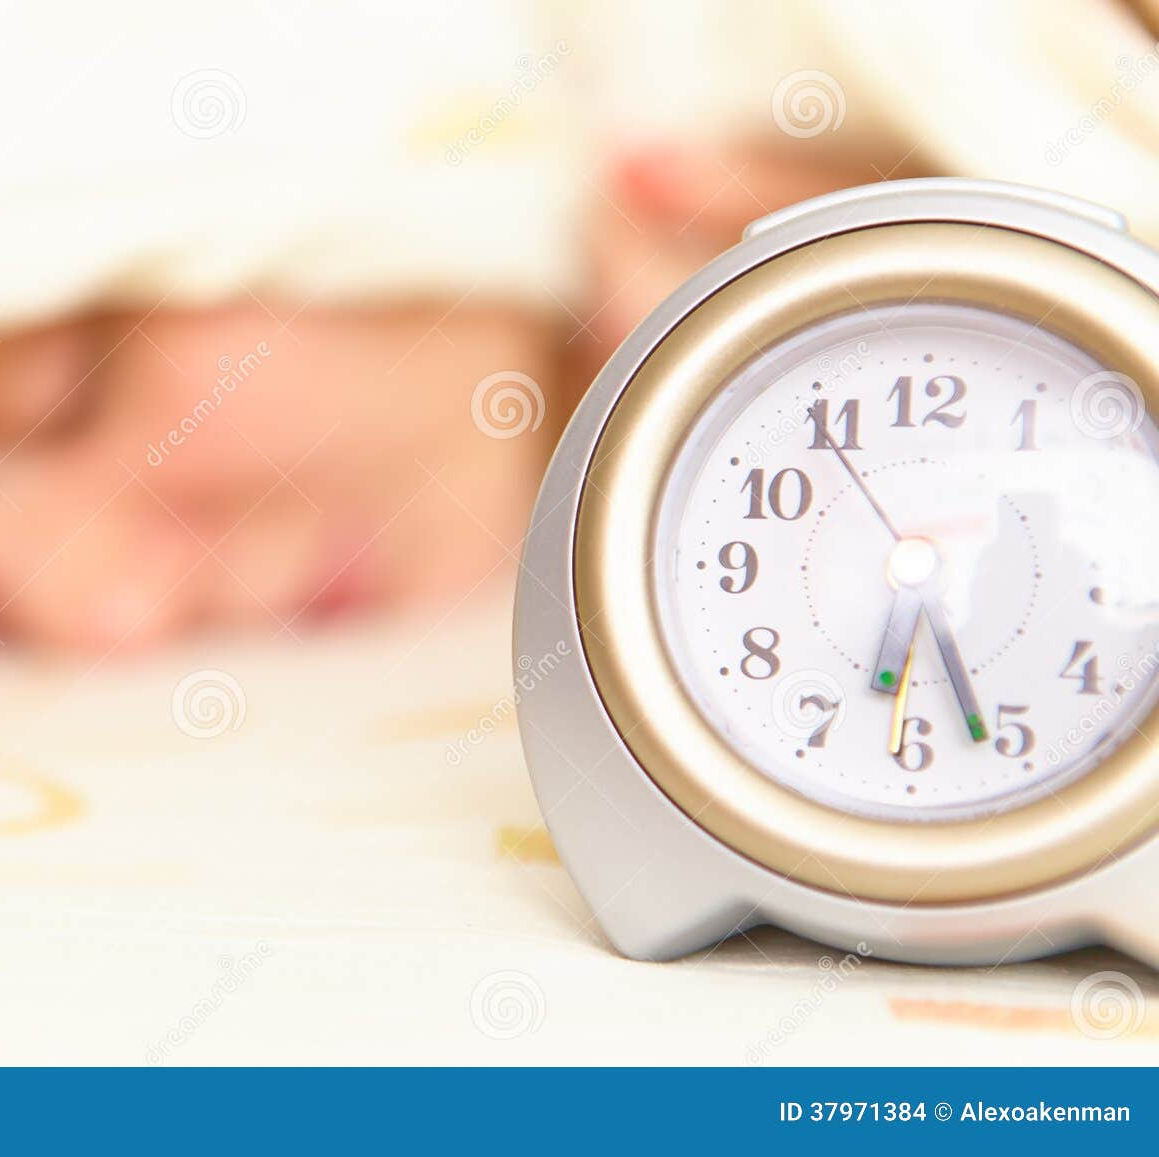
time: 6:26
